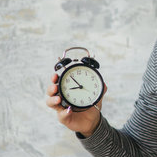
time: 8:53
